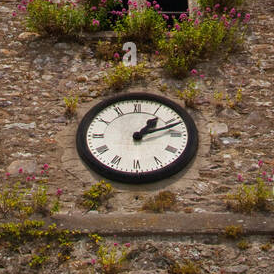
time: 1:11
